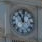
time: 11:01
